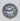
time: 1:46
